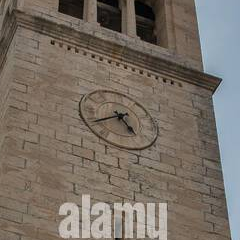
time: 4:39
